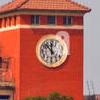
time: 11:52
